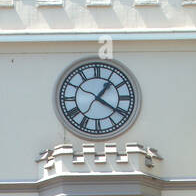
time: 1:20
